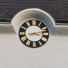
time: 3:12
